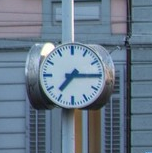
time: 7:15
